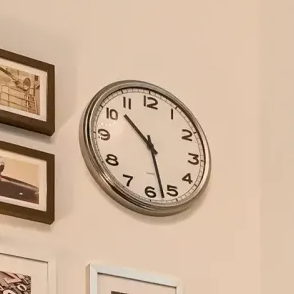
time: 10:27
